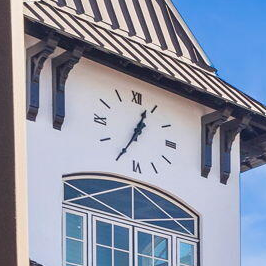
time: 12:34
